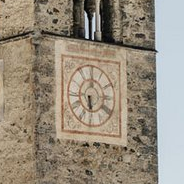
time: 5:59
